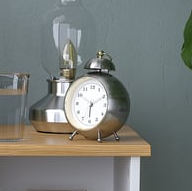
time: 6:10
